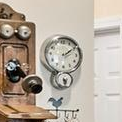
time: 2:09
